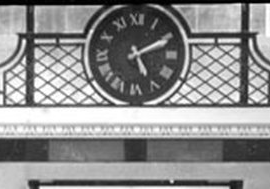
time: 5:10
